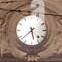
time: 5:38
